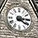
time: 4:14
